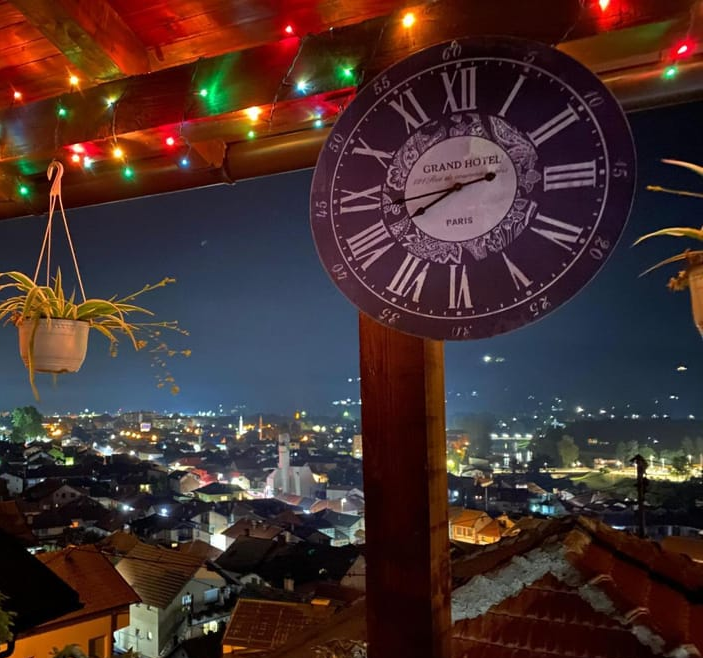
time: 8:40
